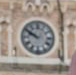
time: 9:50
